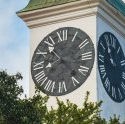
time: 8:23
